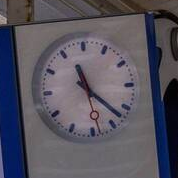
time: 11:22
